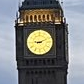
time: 9:11
